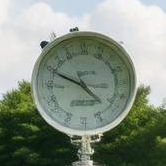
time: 4:49
